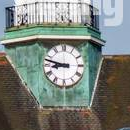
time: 8:47
